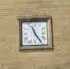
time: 11:24
